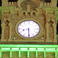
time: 8:29
